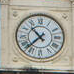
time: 10:37
